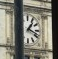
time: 1:18
